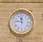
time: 11:46
